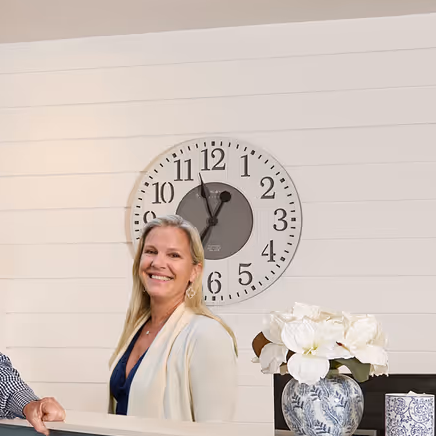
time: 12:57
